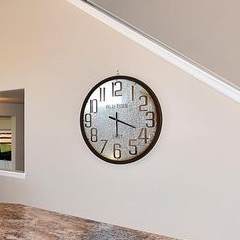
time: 6:18
